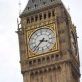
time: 3:37
